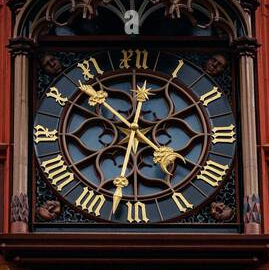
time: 10:32
